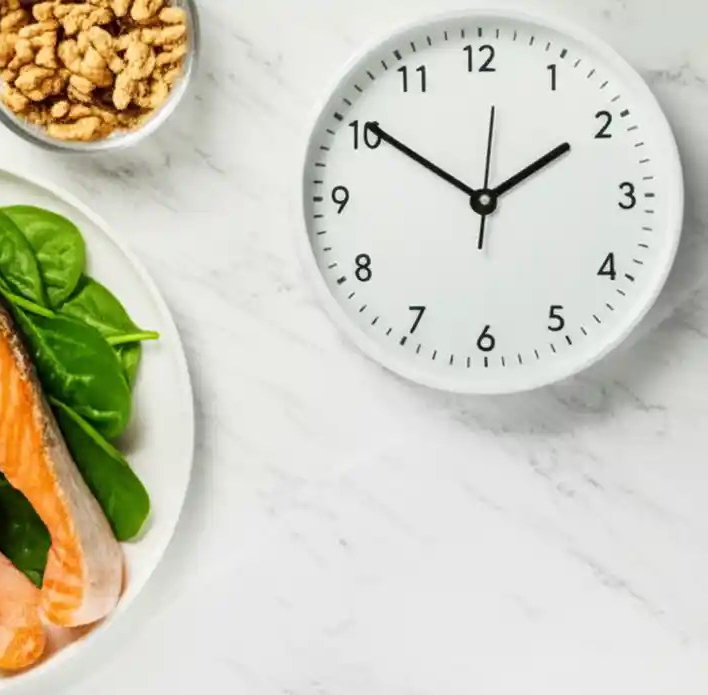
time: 1:50
